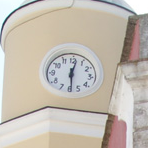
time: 12:28
